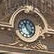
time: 11:22
